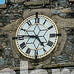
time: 4:45
